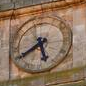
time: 5:40
